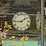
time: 1:44
